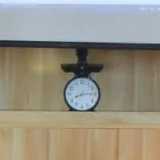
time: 8:14
